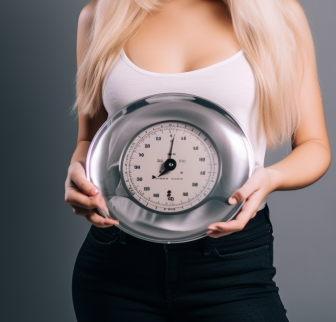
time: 7:01
